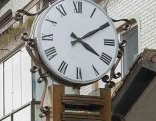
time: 4:09
